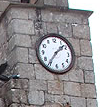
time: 1:36
